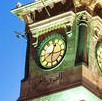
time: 12:41
